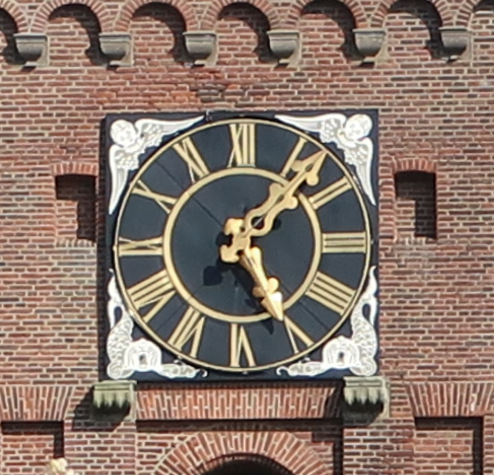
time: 5:07
